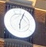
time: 6:03
